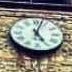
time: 5:03
